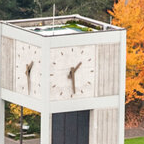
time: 1:28
